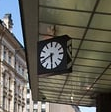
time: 8:29
